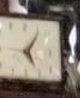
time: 5:05
